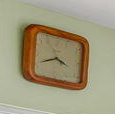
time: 3:40
